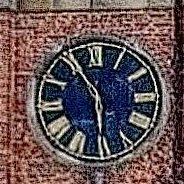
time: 5:54
